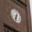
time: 6:32
